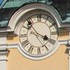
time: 3:53
